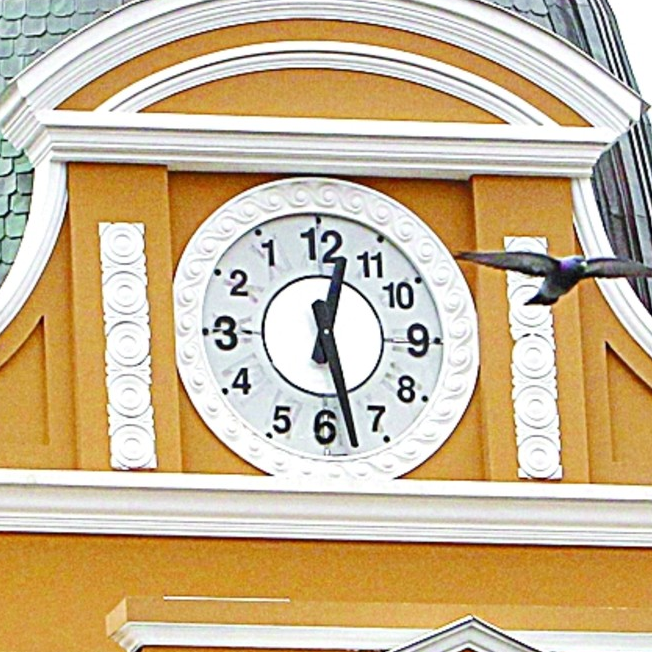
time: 12:27
